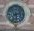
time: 2:29
